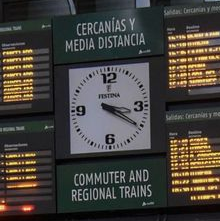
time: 3:20
